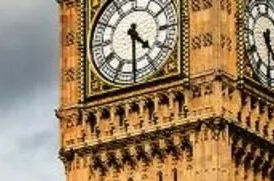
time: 4:30
